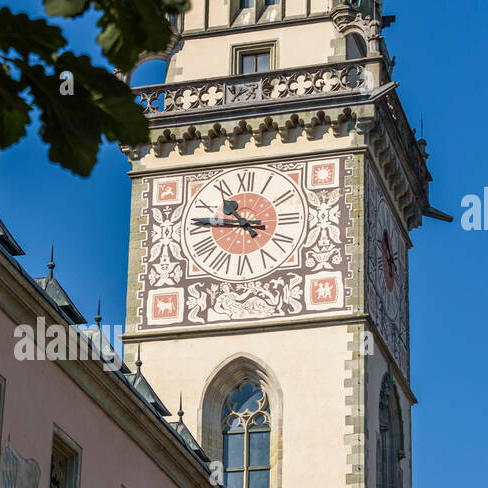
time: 10:47
